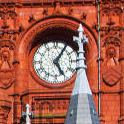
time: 5:05
